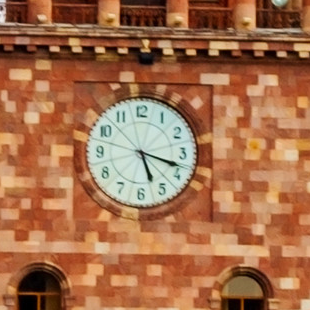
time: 5:18
